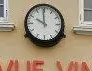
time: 9:59
